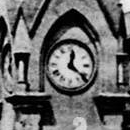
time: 12:21
